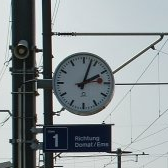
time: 2:03
